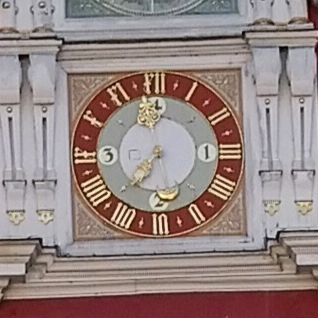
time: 11:37
